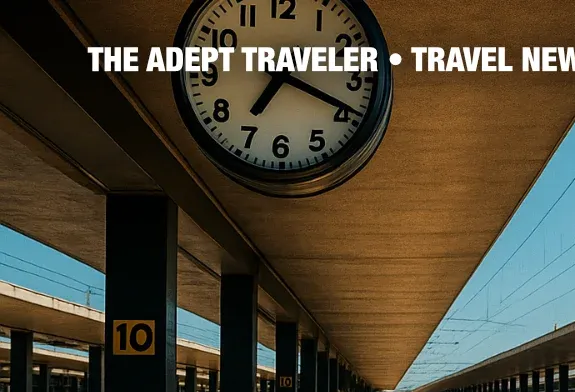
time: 7:19
